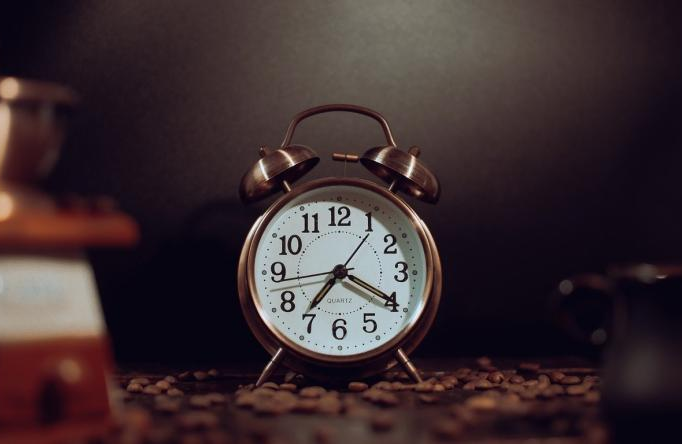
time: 7:19
